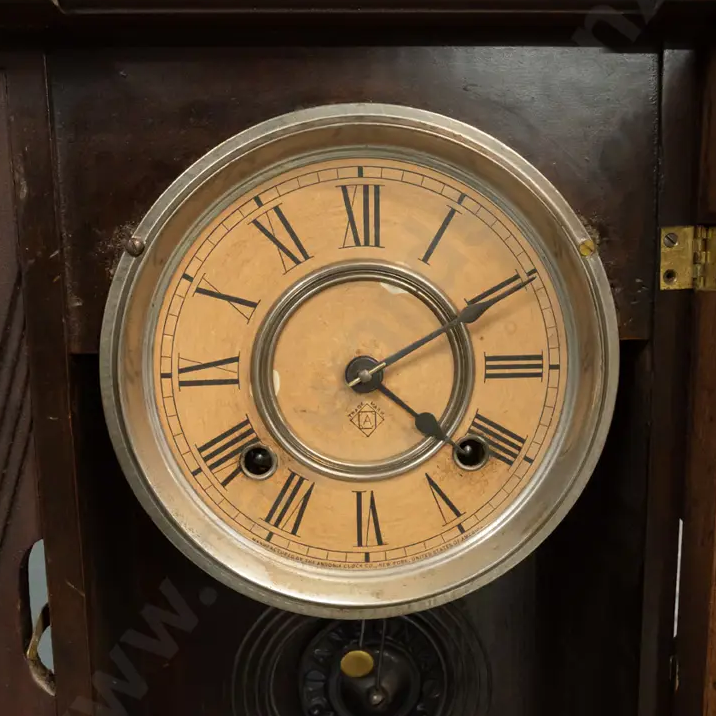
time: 4:10
